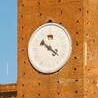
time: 10:21
